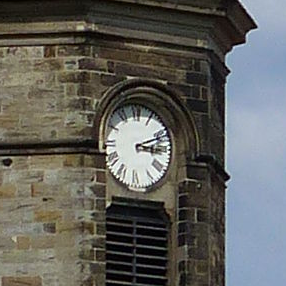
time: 3:11
